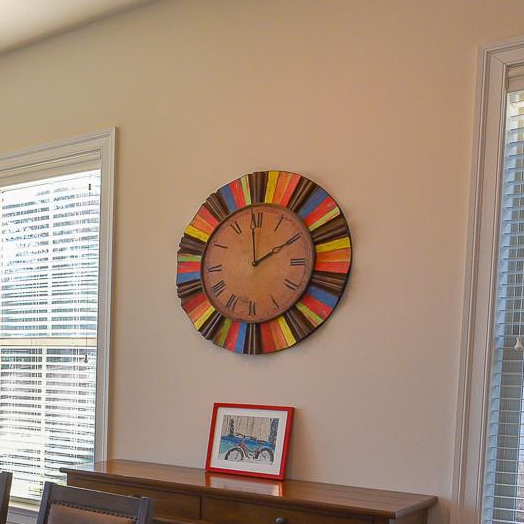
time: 1:59
